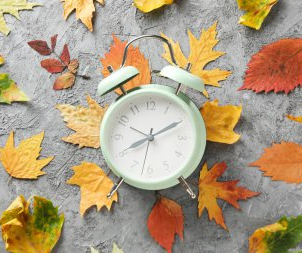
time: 8:10
